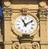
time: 11:09
